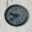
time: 9:38
